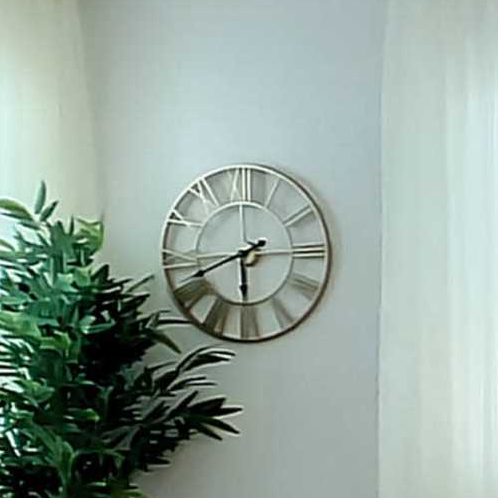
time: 5:41
